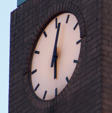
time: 6:02
